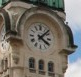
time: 4:07
